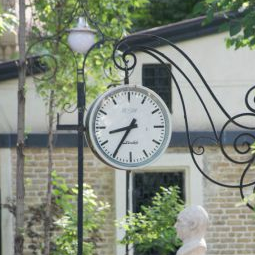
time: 8:35
